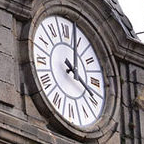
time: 4:03
